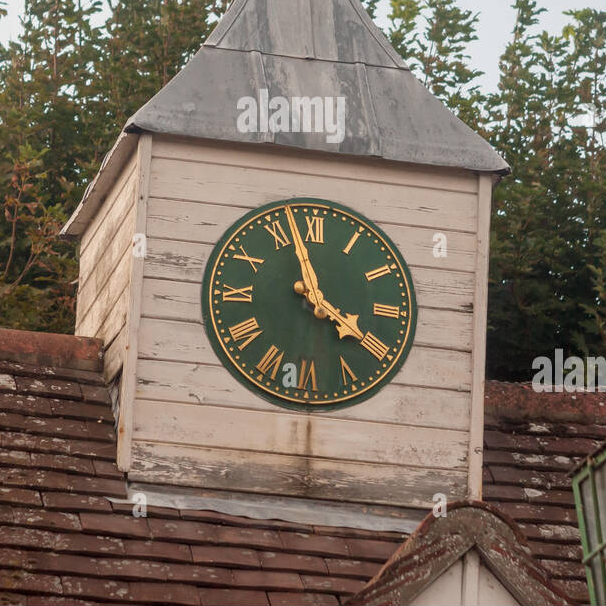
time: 3:57
